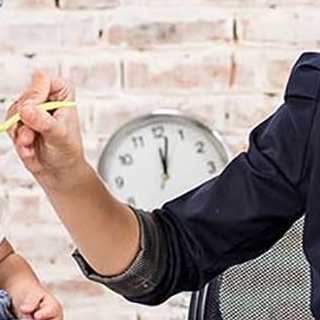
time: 12:02
